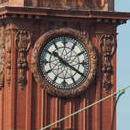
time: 10:19
